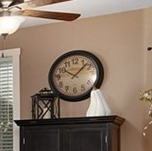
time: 10:07
